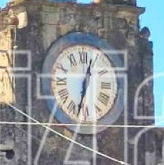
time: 12:32
